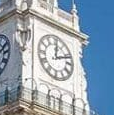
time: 12:11
